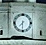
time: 7:30
